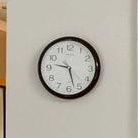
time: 9:27
